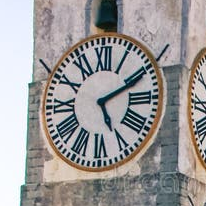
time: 5:11
